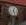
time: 12:26
